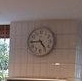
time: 4:44
